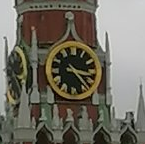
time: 3:23
